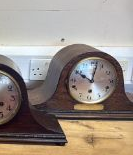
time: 10:02
